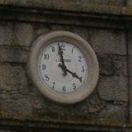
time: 3:58
